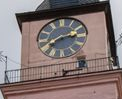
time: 2:40
